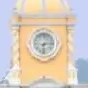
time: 6:13
